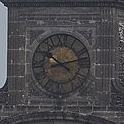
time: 10:12
